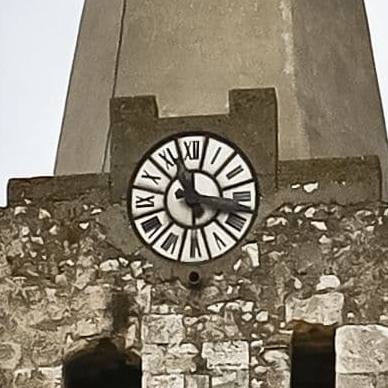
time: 11:16
